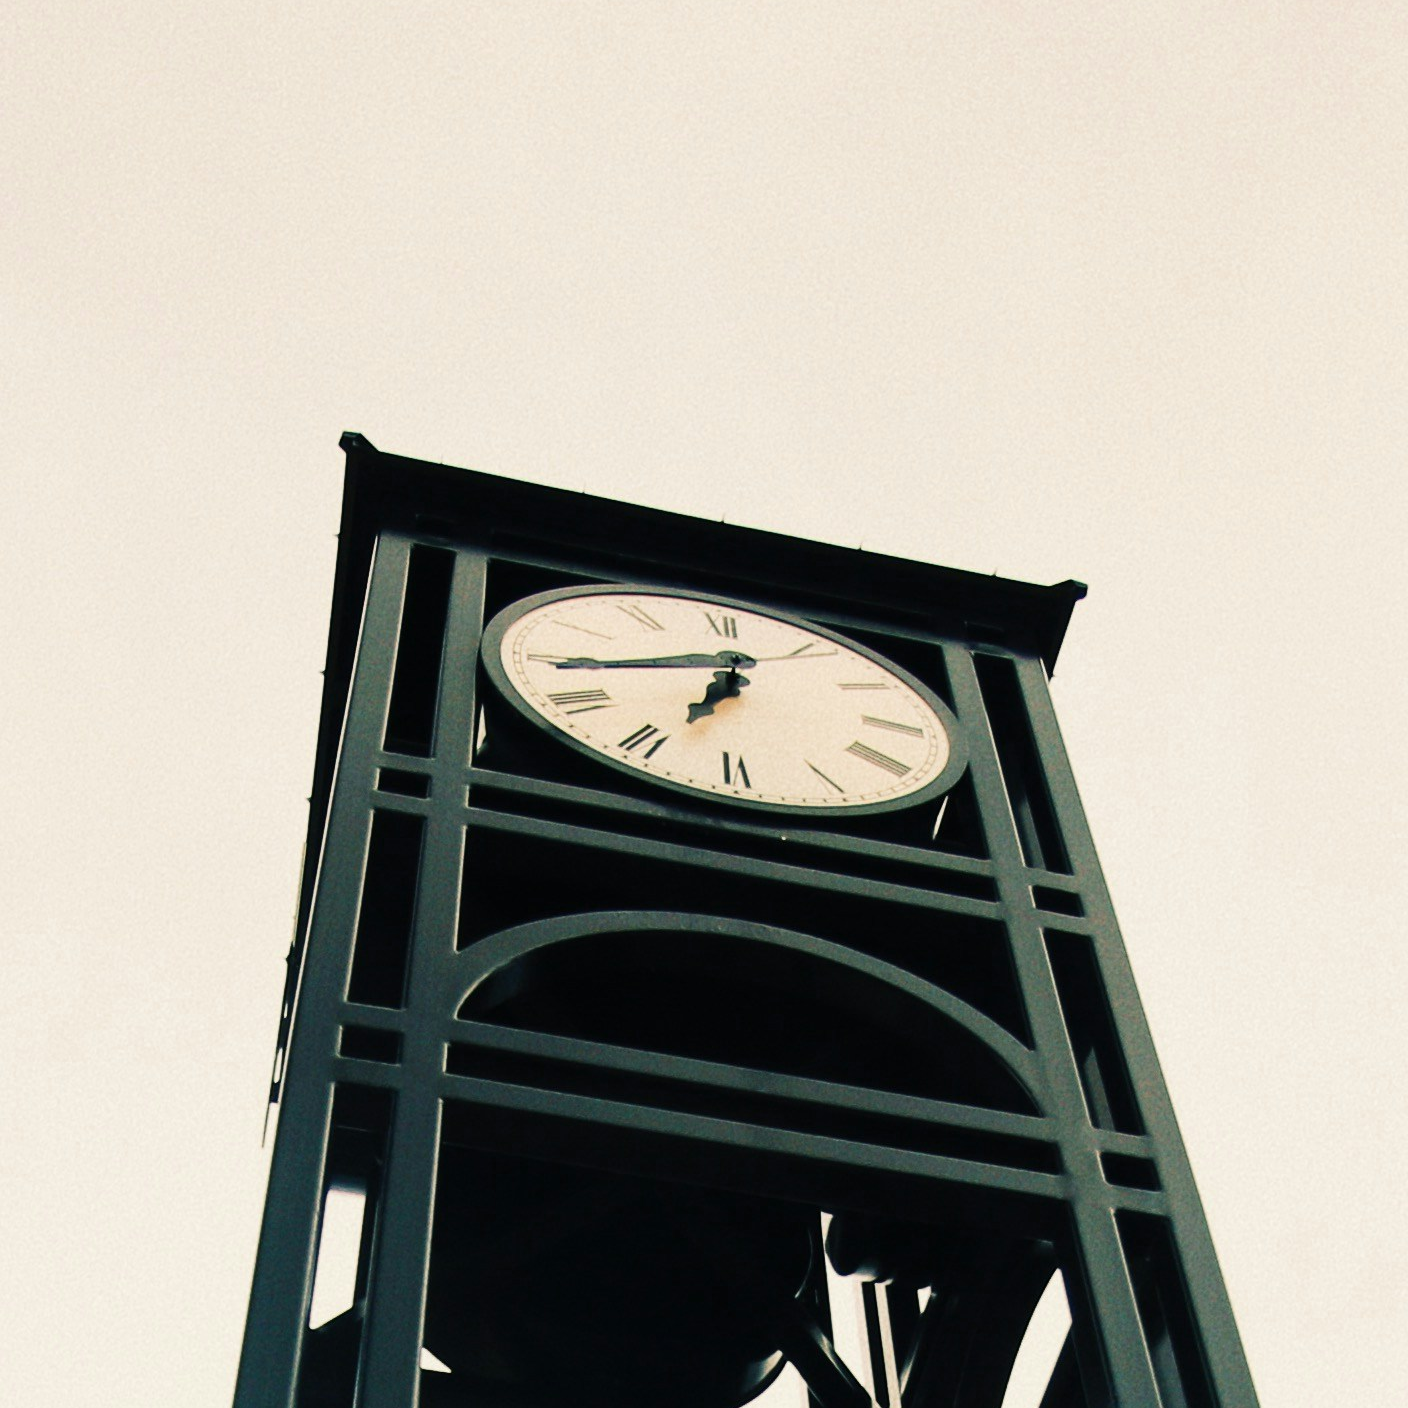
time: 6:43
